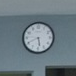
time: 5:40
